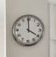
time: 3:59
